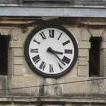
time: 3:22
